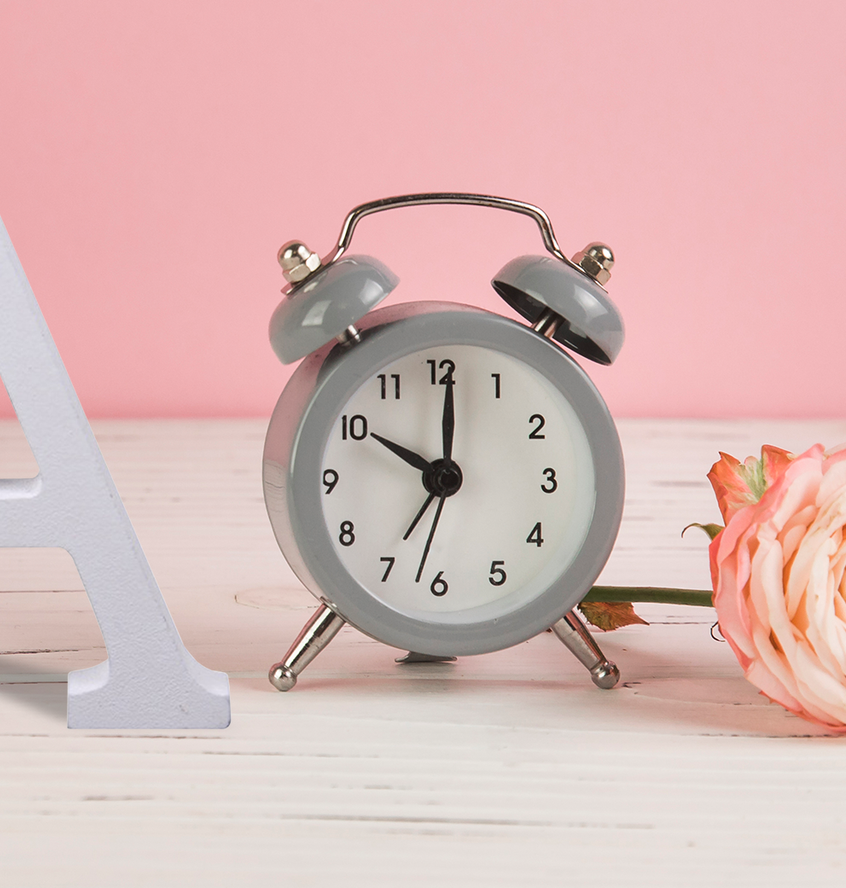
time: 10:01
